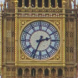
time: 2:33
